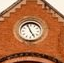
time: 4:56
